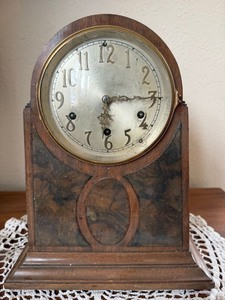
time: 6:14
